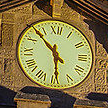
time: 5:53
